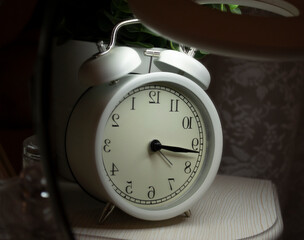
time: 3:16
